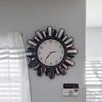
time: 7:12
